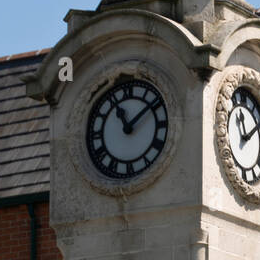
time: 11:08
